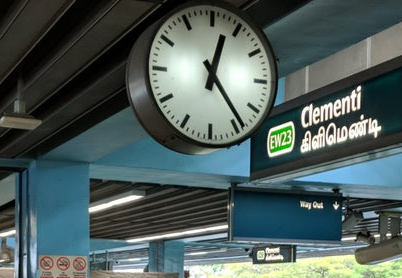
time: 12:23
